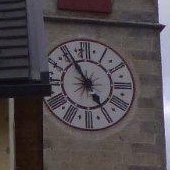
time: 4:54
